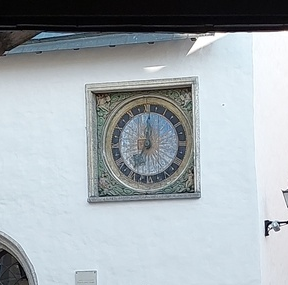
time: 7:01
